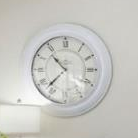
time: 10:37
